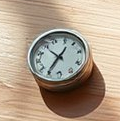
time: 1:36
